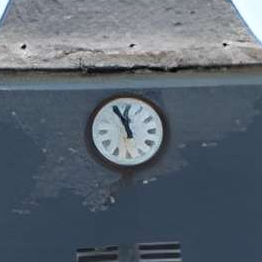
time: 11:55
